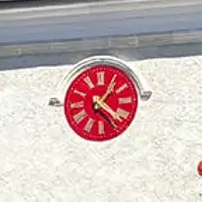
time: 1:21
